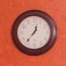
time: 12:36
